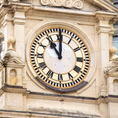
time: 11:00
